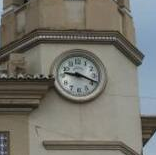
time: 9:18
